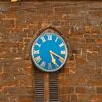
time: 5:19
